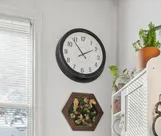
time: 1:53
